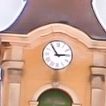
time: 2:54
